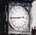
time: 2:44
